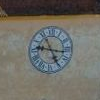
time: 9:16
